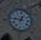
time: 12:46
